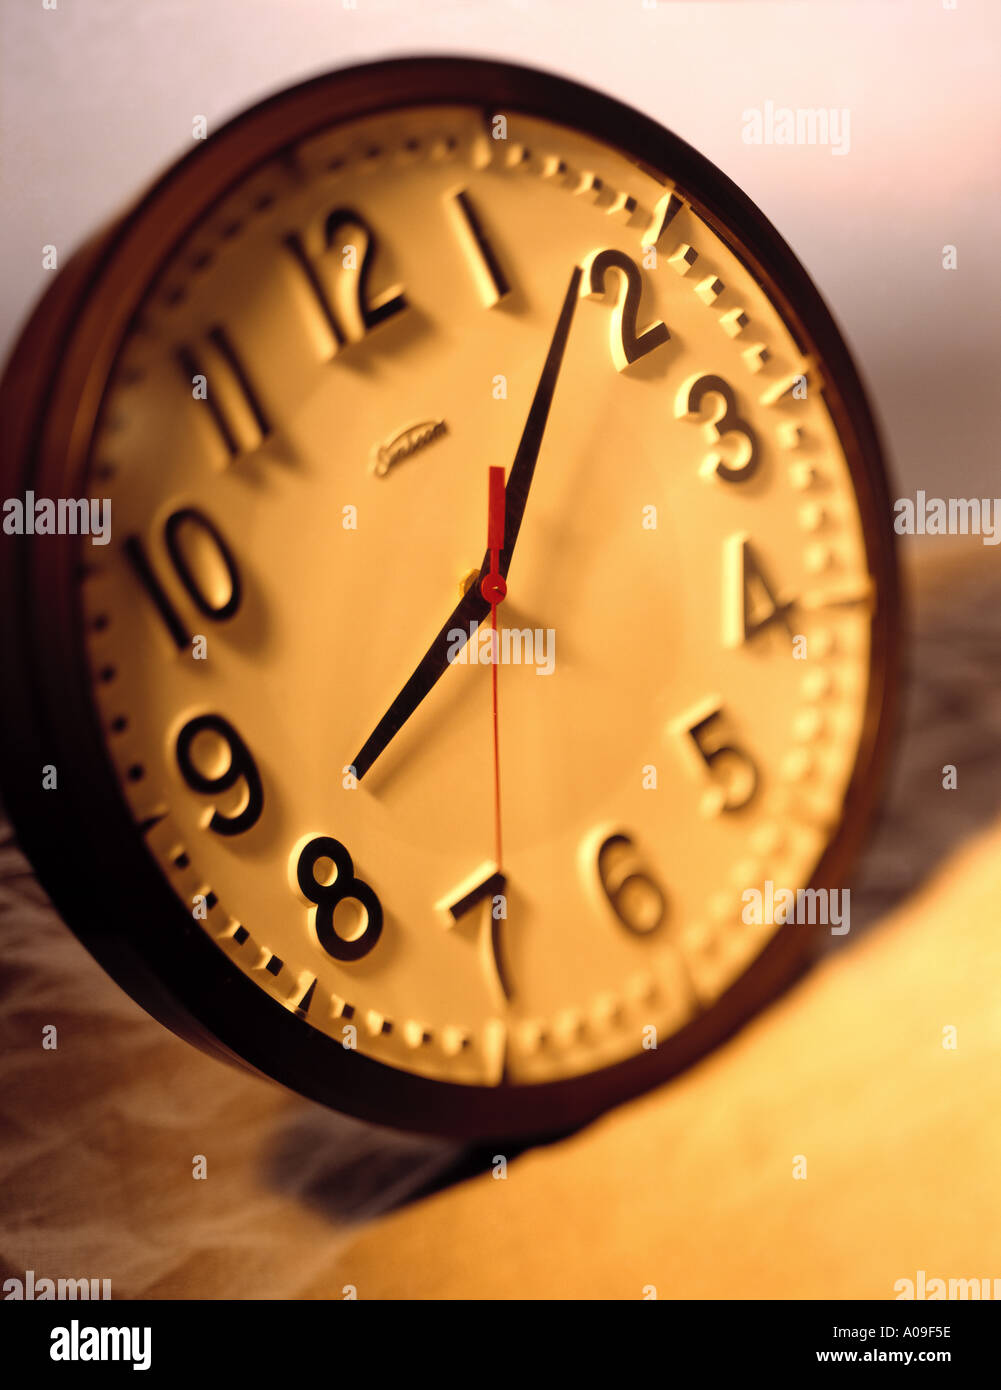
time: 8:08
